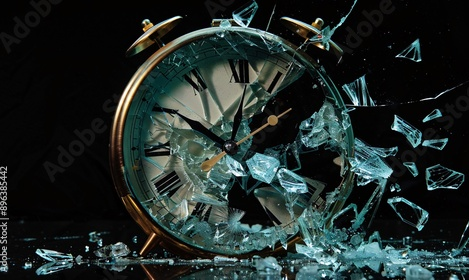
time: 12:50
